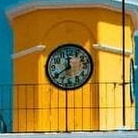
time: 11:39
